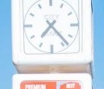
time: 7:23
